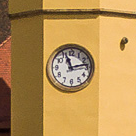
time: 11:13
